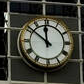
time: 11:51
